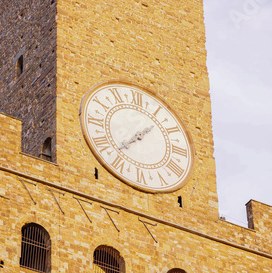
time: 1:37
